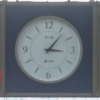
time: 3:06
